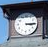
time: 3:15
